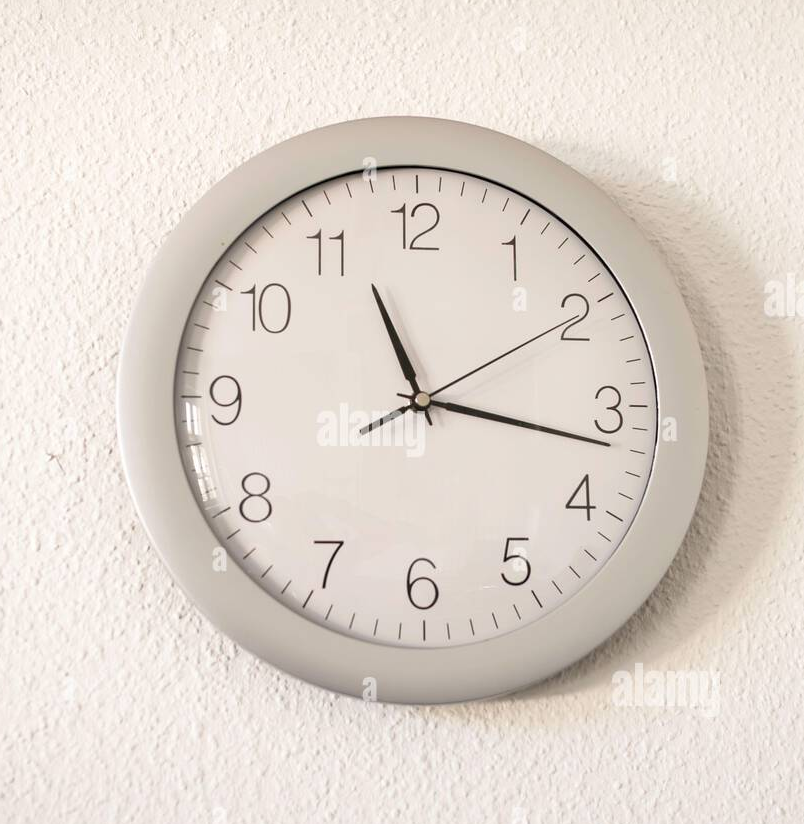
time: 11:16
